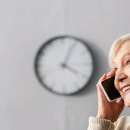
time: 4:04
